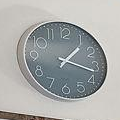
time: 1:16
